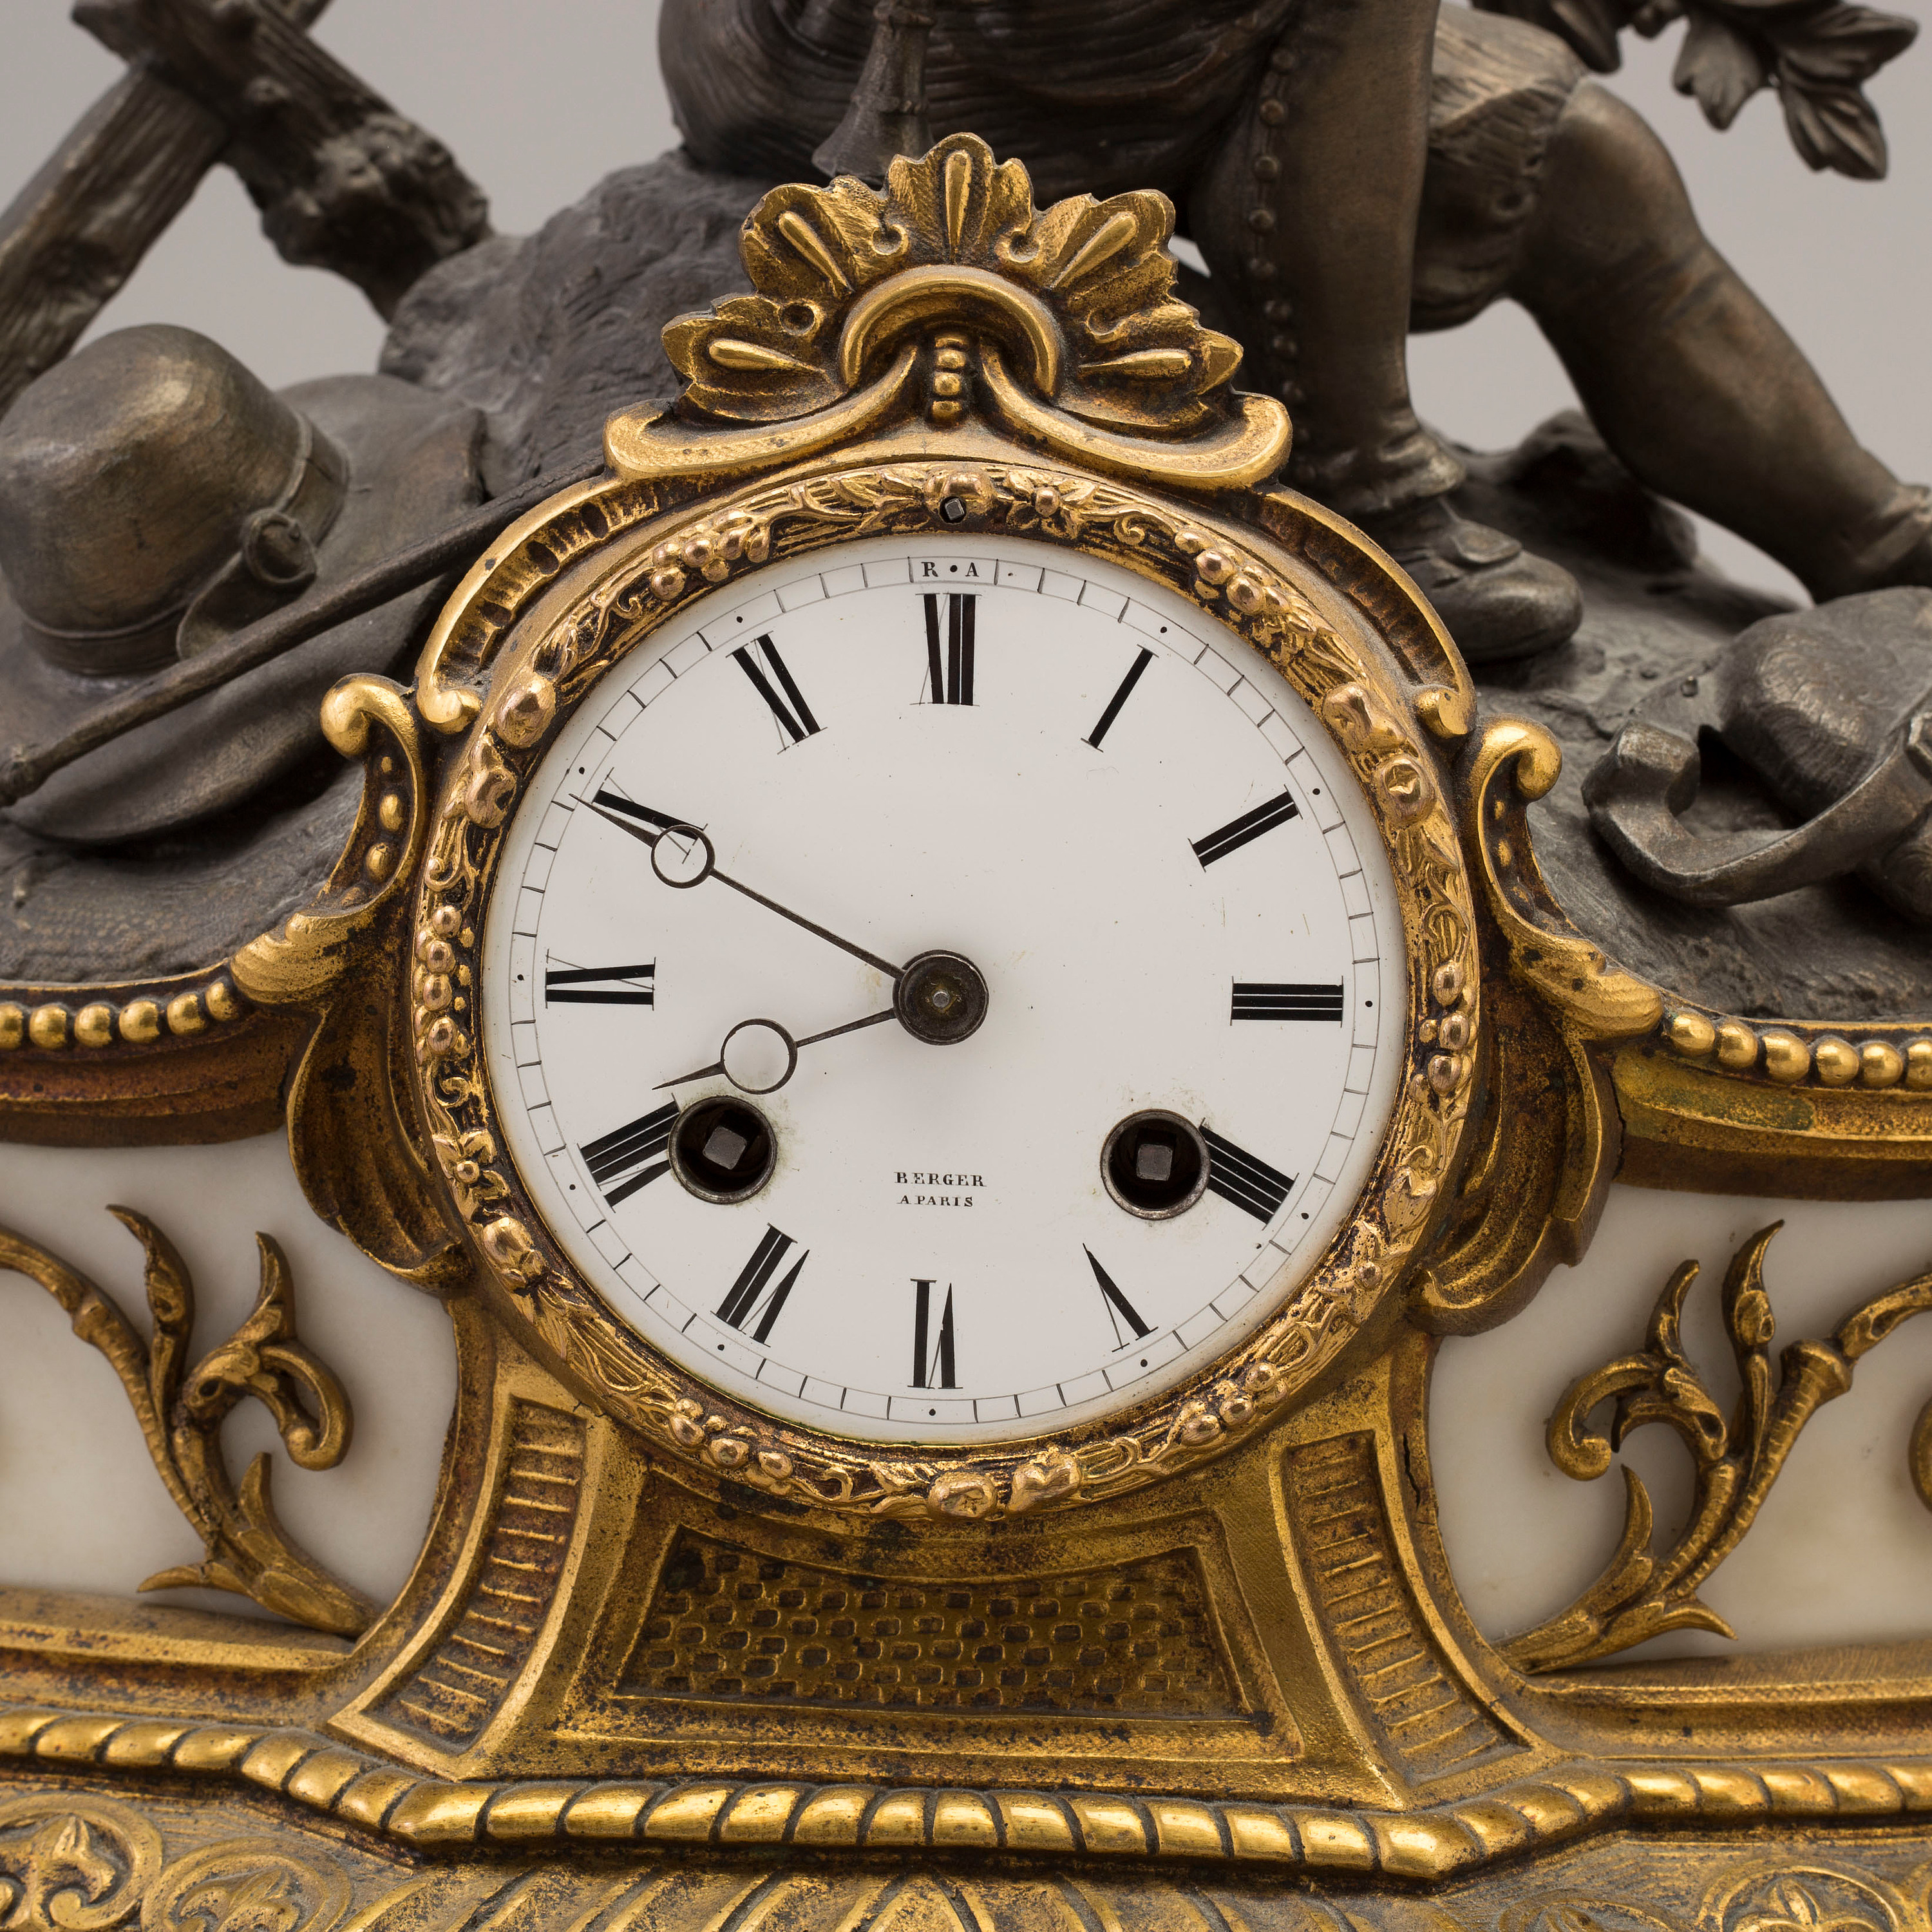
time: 7:49
